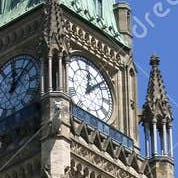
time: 12:07
